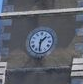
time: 1:31
